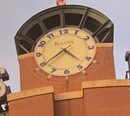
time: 4:39
